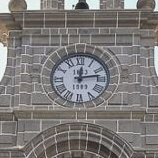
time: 12:13
